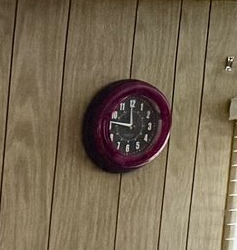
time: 11:46
